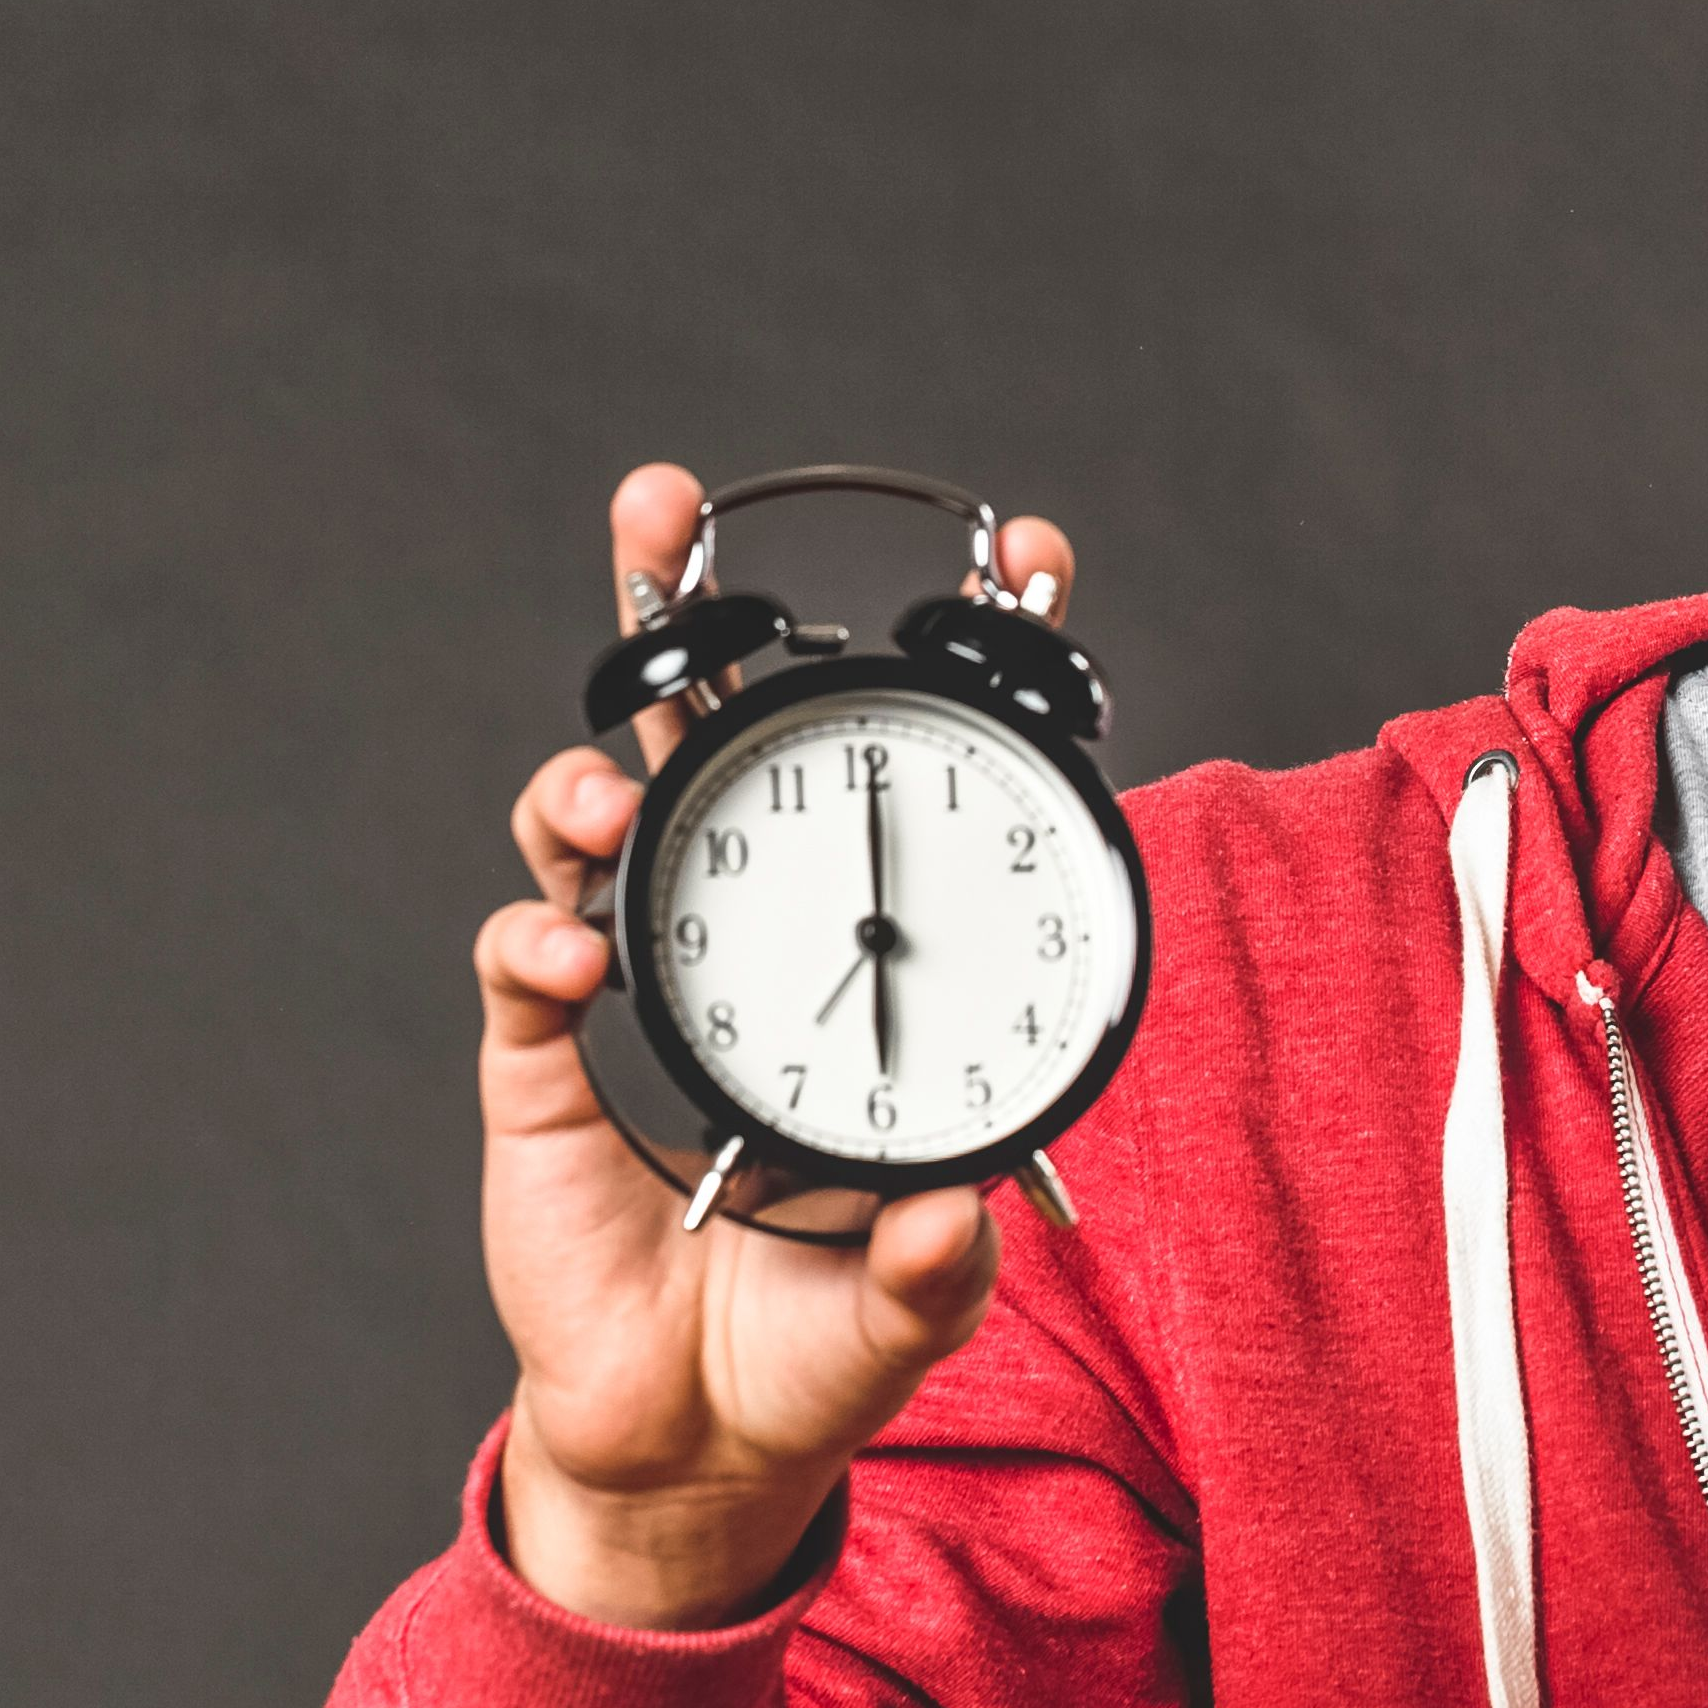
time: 6:00
